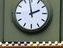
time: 1:58
